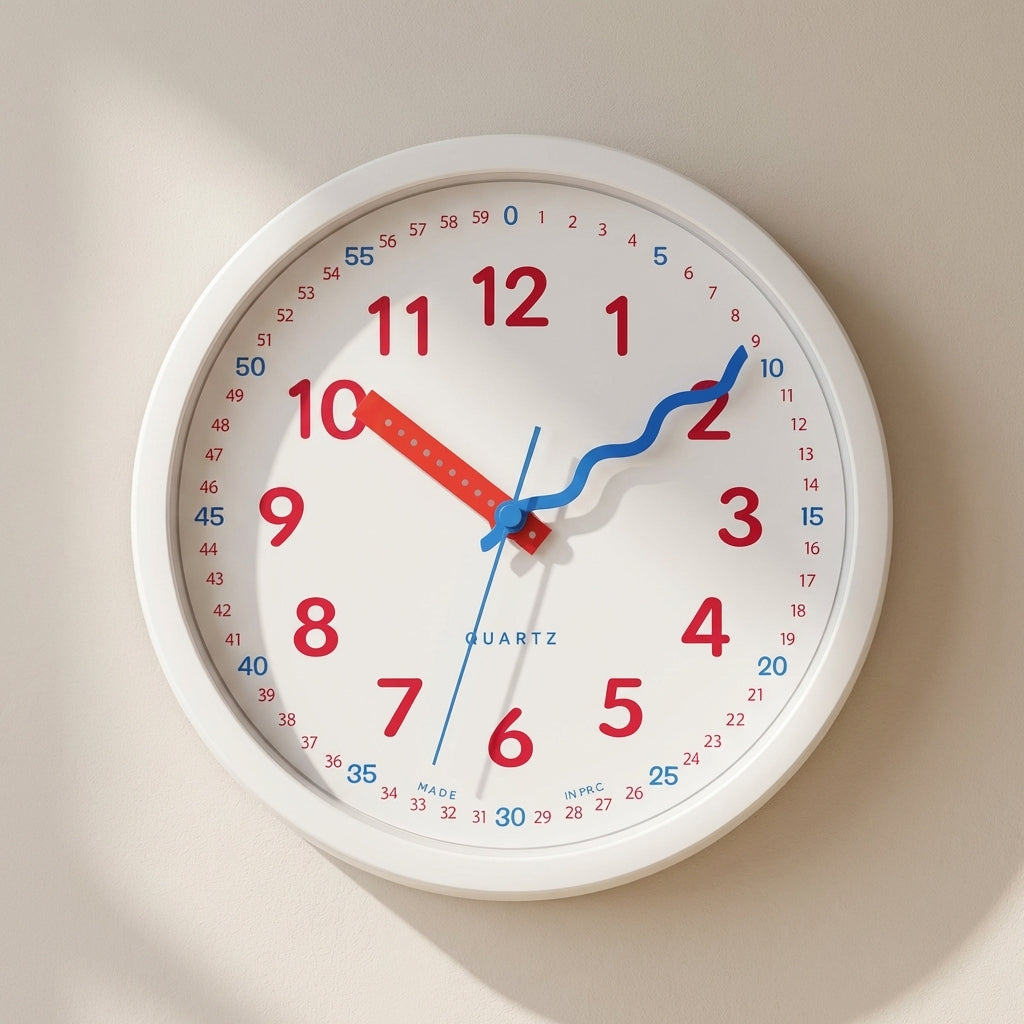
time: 1:50
